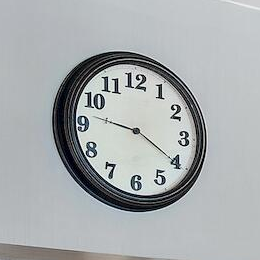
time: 9:20
